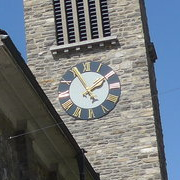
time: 1:56
